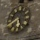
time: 5:40
